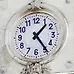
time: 1:24
